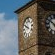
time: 9:50
